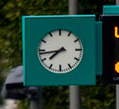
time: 7:43
